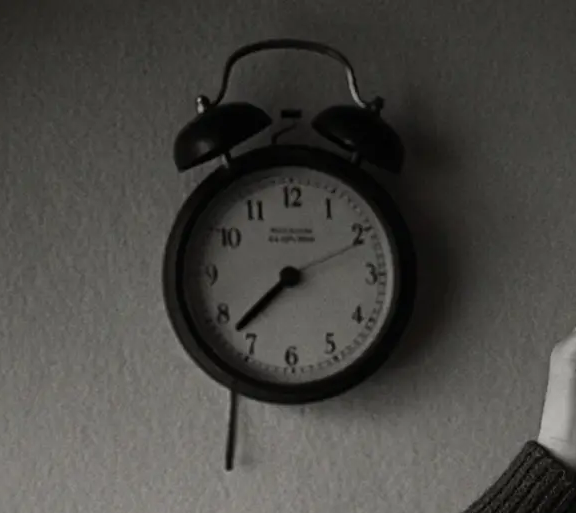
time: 7:37
